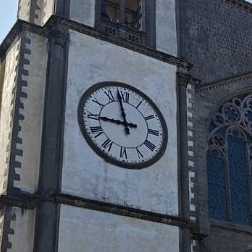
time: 8:57
